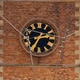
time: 2:34
